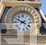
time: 7:49
